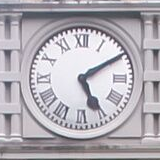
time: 5:09
